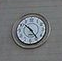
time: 10:23
